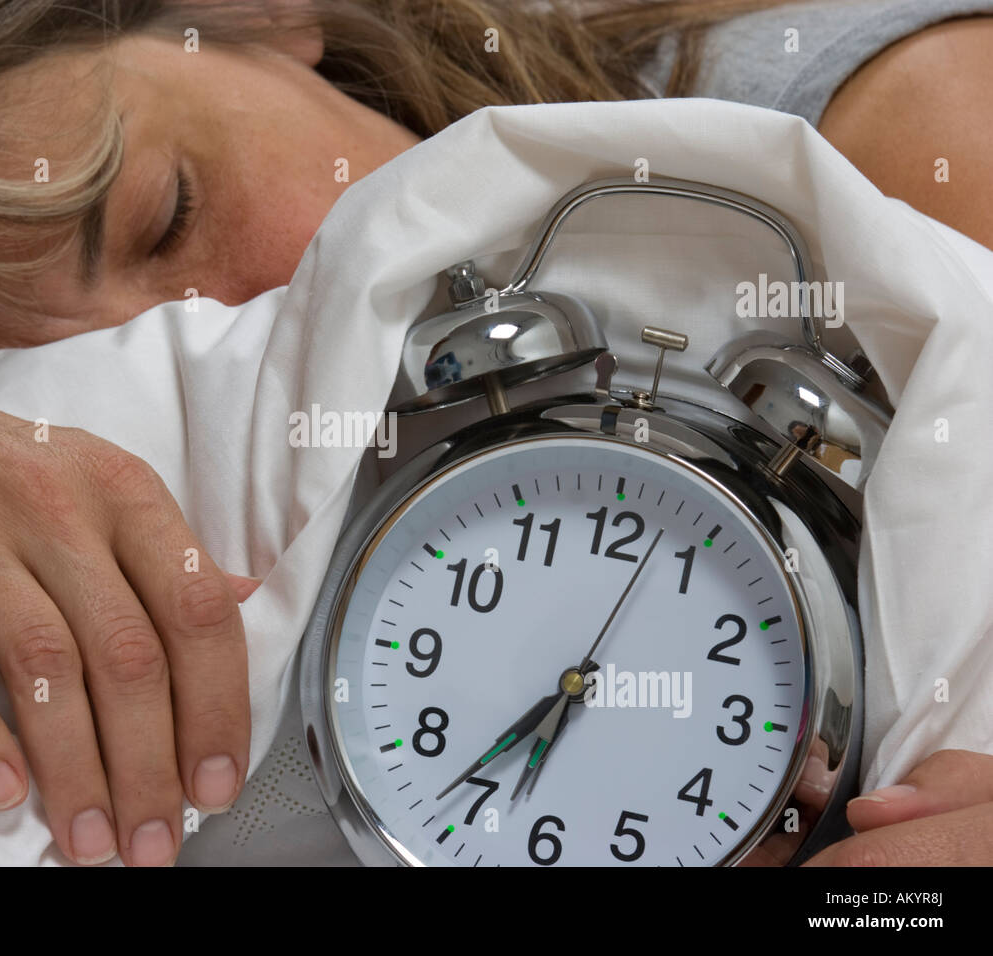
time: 6:36
